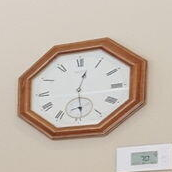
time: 12:29
